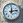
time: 12:13
